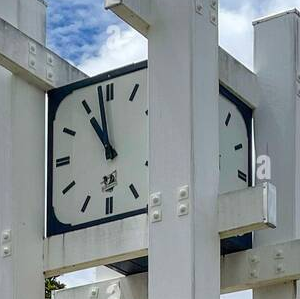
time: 10:58
